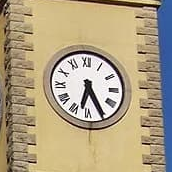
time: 6:25
